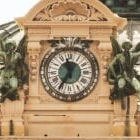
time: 11:35
